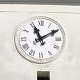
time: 11:09
